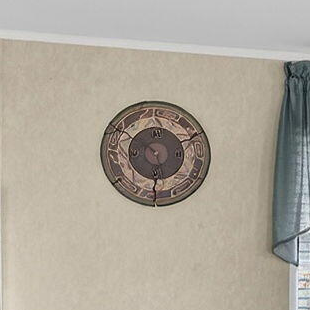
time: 5:30
